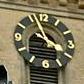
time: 3:56
